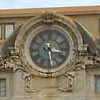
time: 3:28
